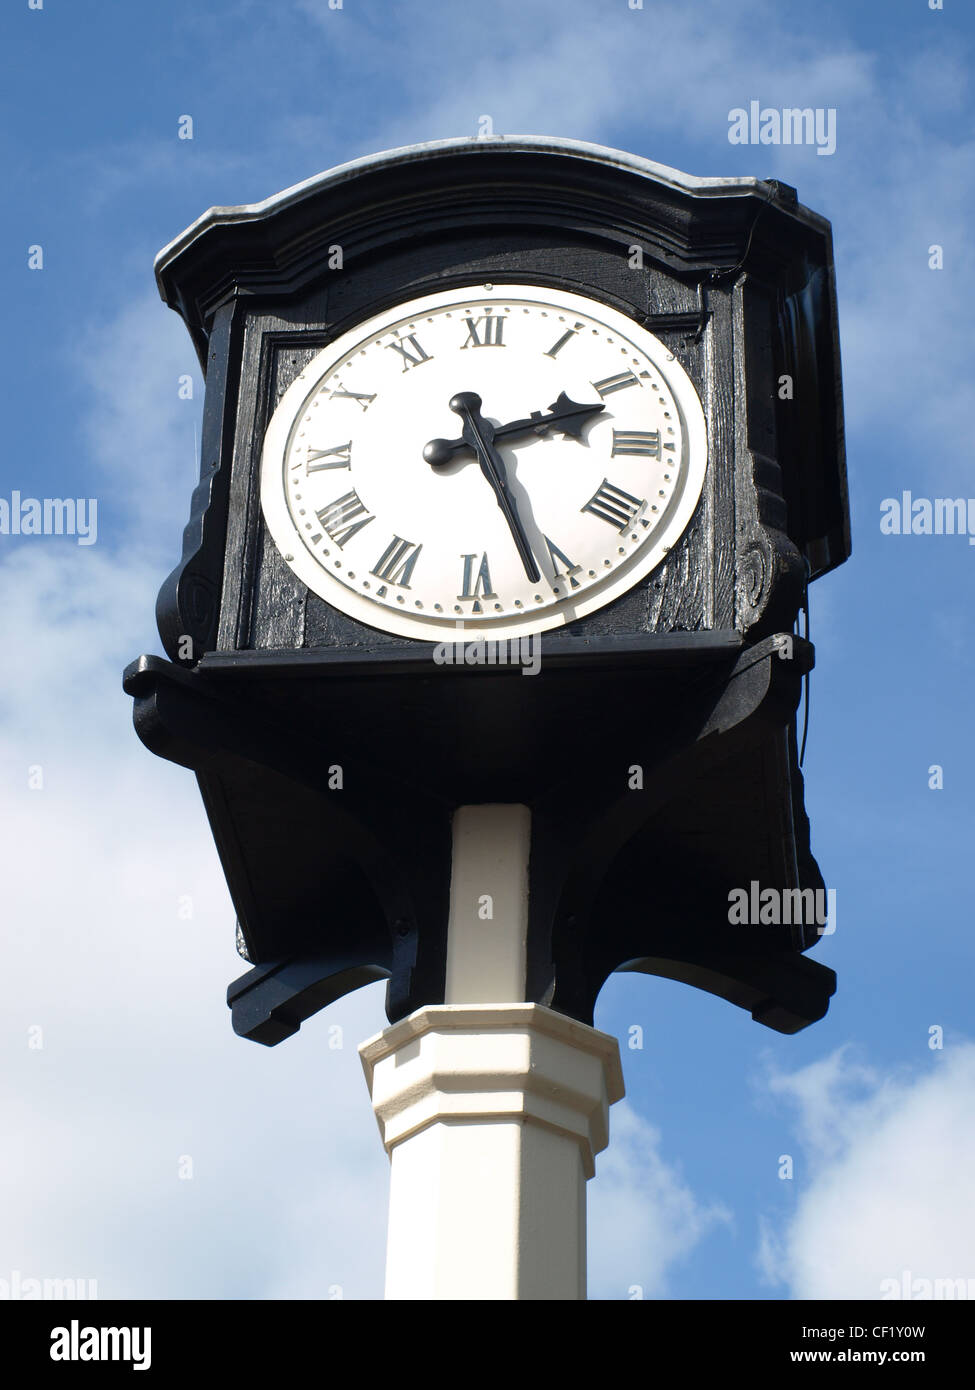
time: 2:26
